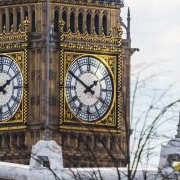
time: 1:50
